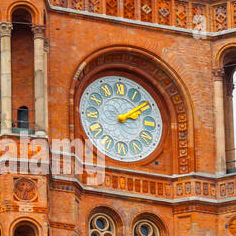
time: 2:09
